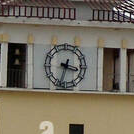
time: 3:33
